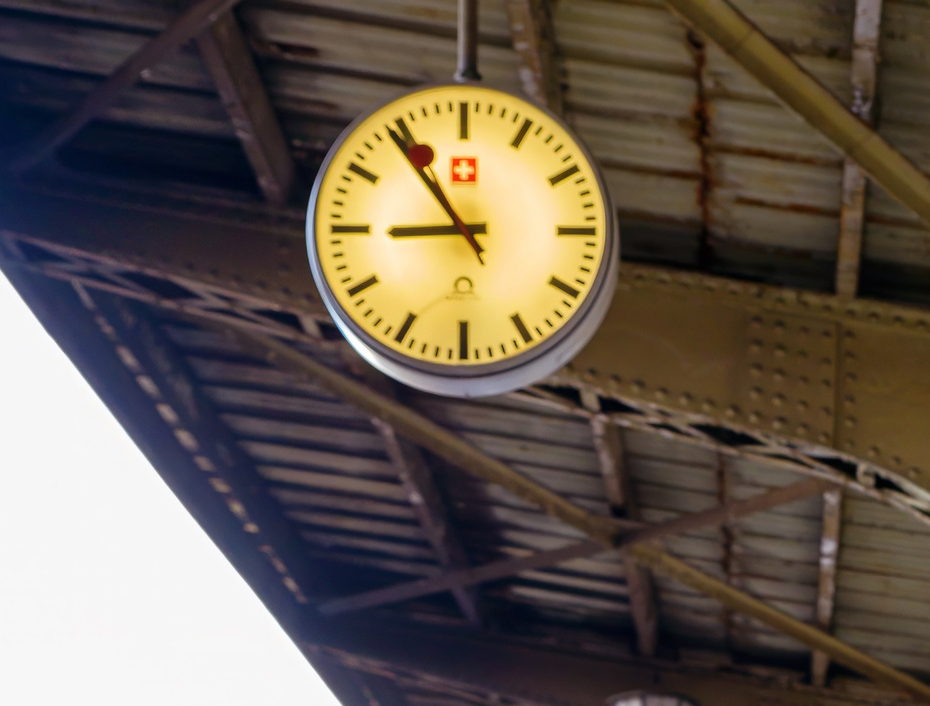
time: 8:54
